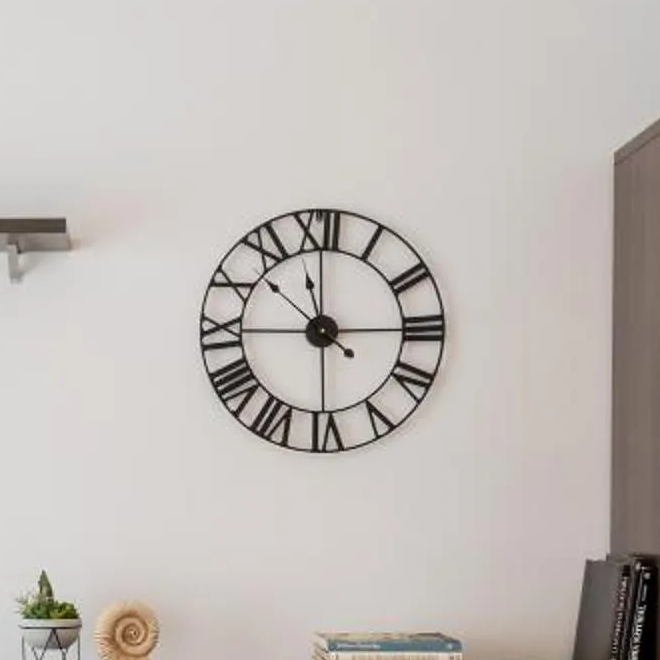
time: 11:44
